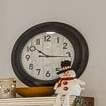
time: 10:16
